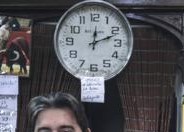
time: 12:11
